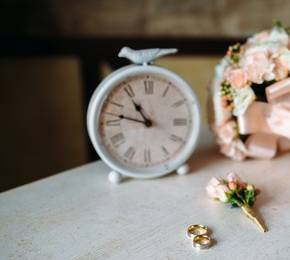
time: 10:47
